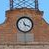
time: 11:18
